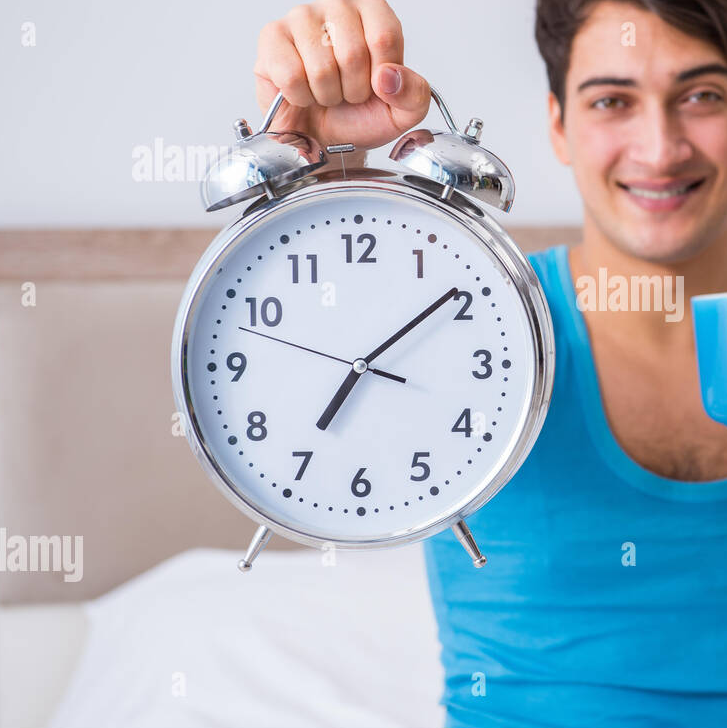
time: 7:08
